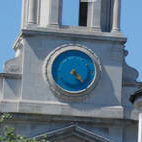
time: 4:23
